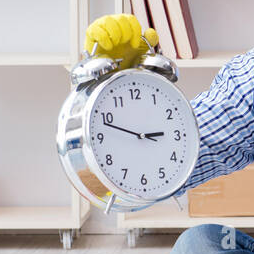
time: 2:48
